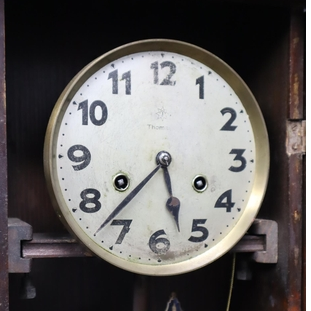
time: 5:37
